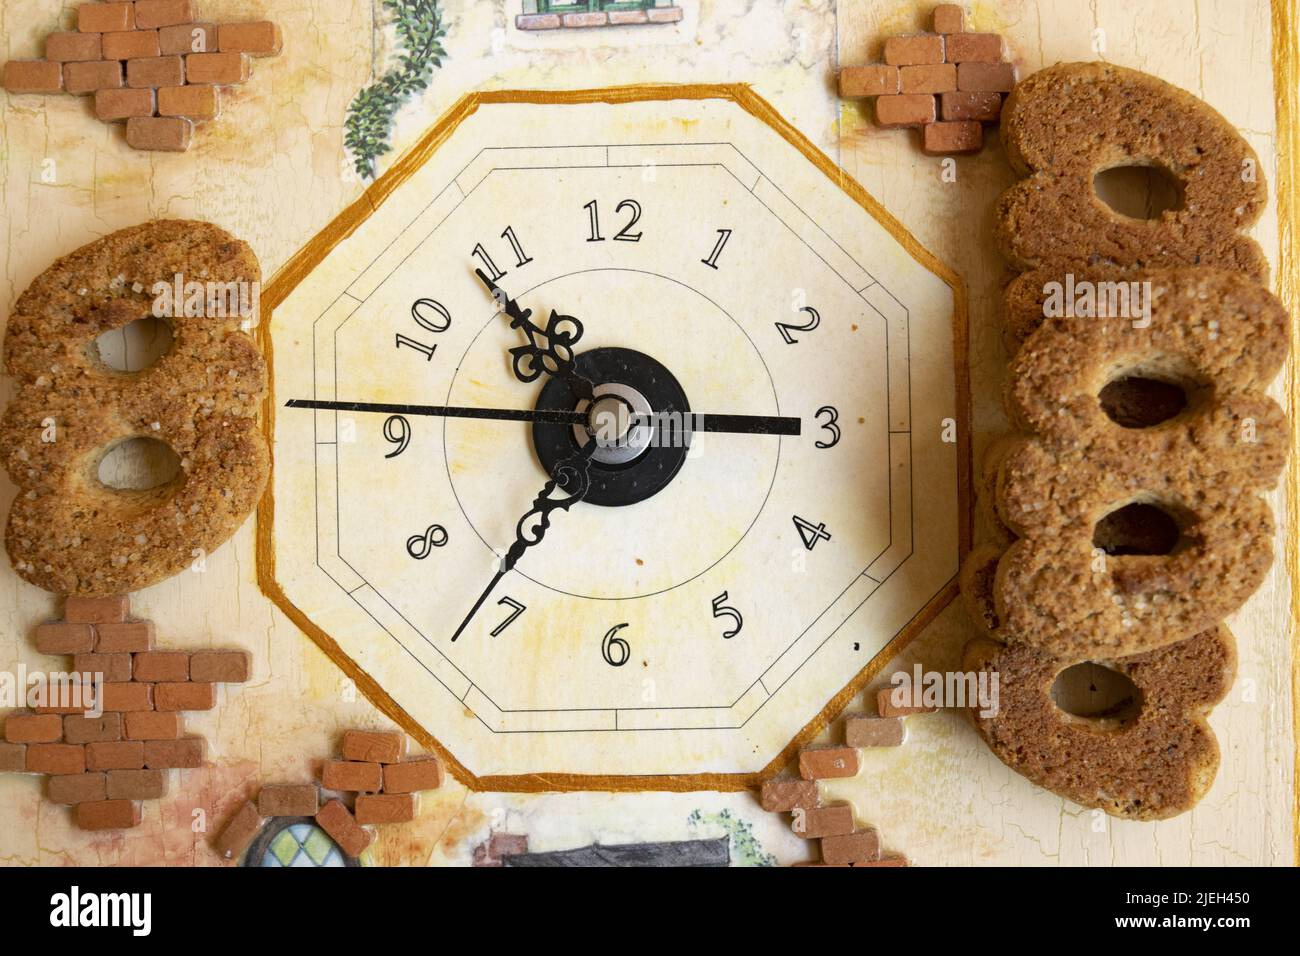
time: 10:36
